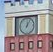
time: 12:04
